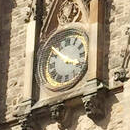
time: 3:51
